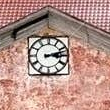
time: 3:12
